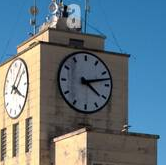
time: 4:12
